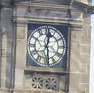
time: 12:28
